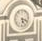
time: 5:18
